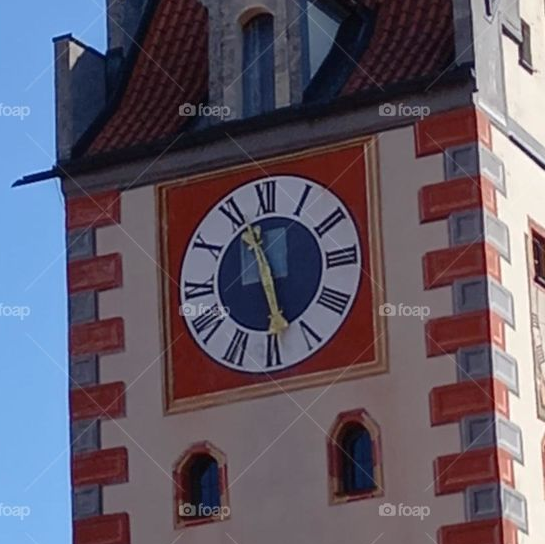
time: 5:56
